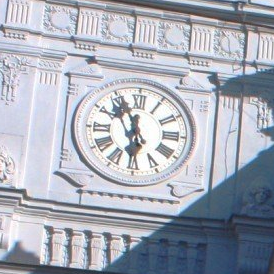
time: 5:54
